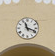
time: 11:18
